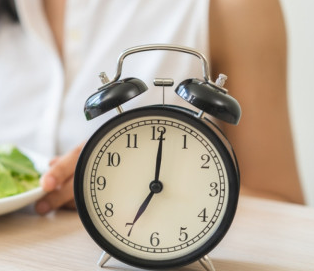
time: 7:00
